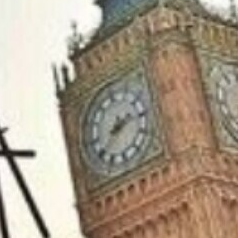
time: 2:38
